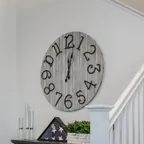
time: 12:03
